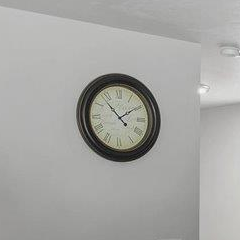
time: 1:52
